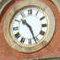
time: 10:26
